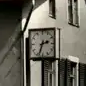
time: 2:33
